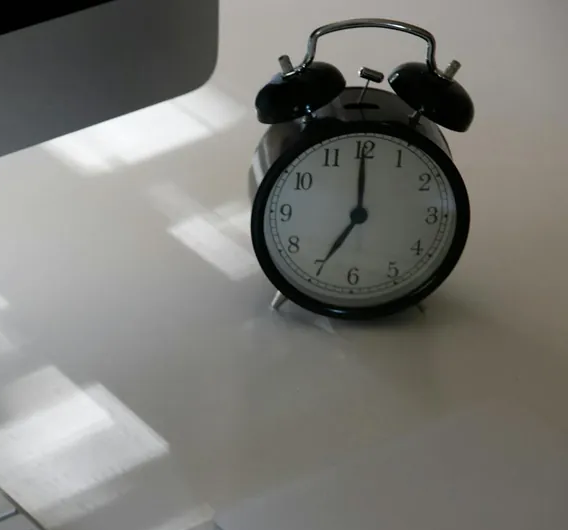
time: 7:00
